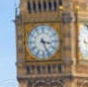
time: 3:26
